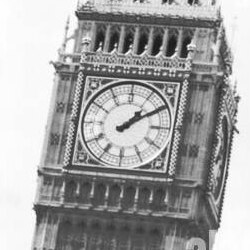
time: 1:09
